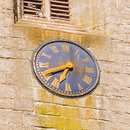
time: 6:40
